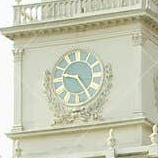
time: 9:23
